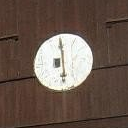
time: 5:59
